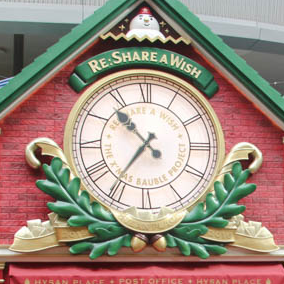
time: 10:36
